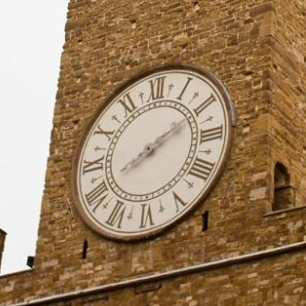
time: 8:10
